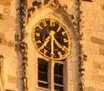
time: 4:30
